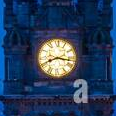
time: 8:16
